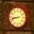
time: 8:42
